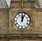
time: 12:03
